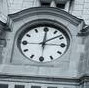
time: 12:08
